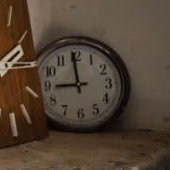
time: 8:59
